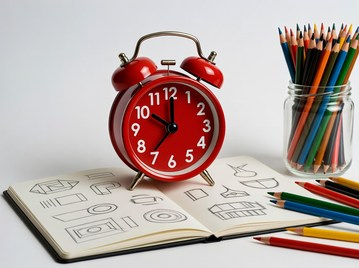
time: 10:00
